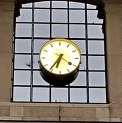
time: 6:36
